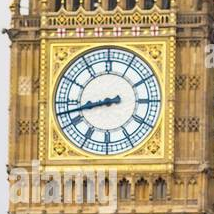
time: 8:42
